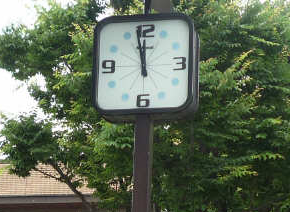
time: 11:57
